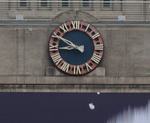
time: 8:50
